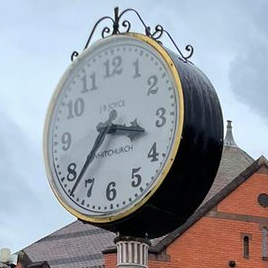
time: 3:37
